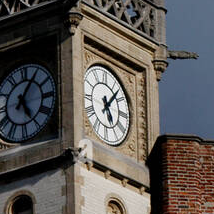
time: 5:06
